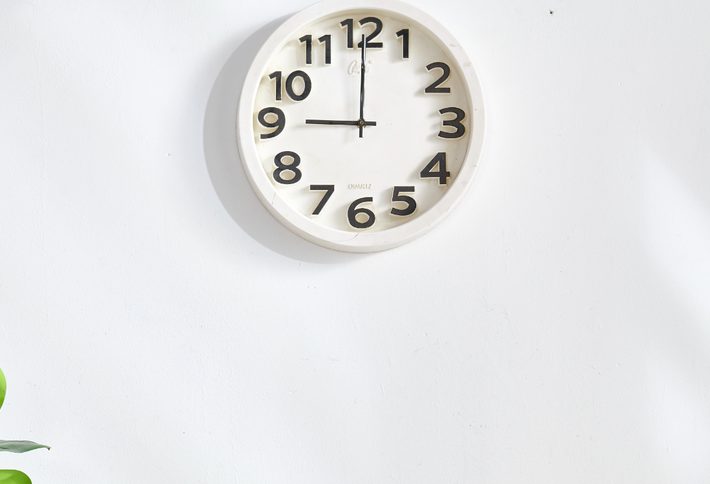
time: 9:00
